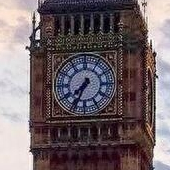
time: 7:34
